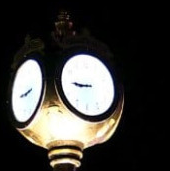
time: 8:45
